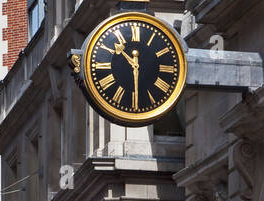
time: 10:29
